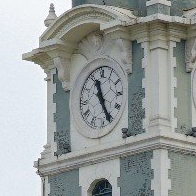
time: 11:25
